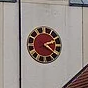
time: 2:21
